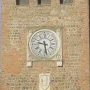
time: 9:28
